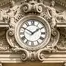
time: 1:50
